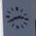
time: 2:40
